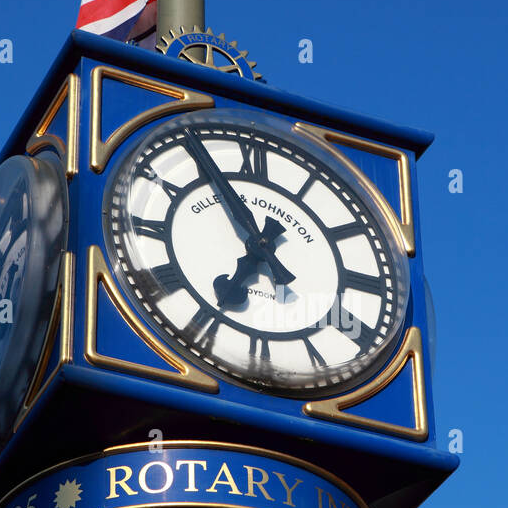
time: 6:54
